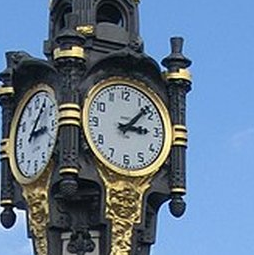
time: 3:07
